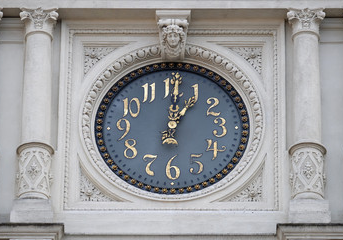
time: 1:00
